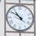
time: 10:51
